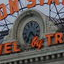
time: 4:35
